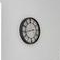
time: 2:43
